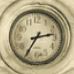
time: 2:35
